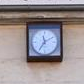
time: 11:35
